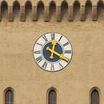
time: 12:19
